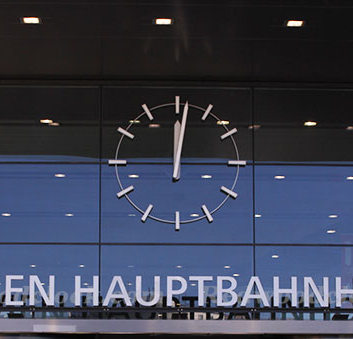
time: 12:01
